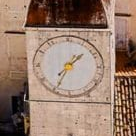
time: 1:34
